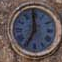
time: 6:59
